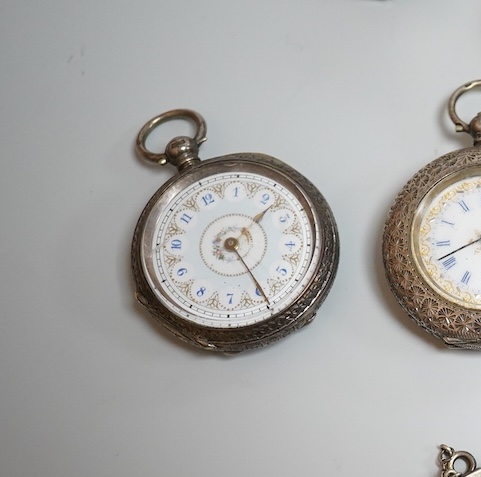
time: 1:24
